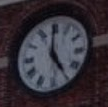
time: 4:59
